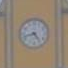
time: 4:42
